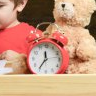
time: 11:35
